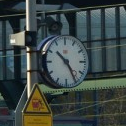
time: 10:24
